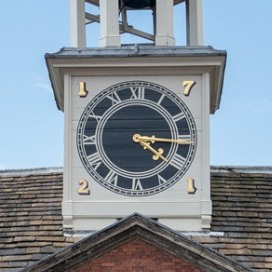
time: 4:15
